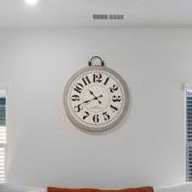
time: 10:41
